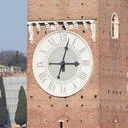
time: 3:02
